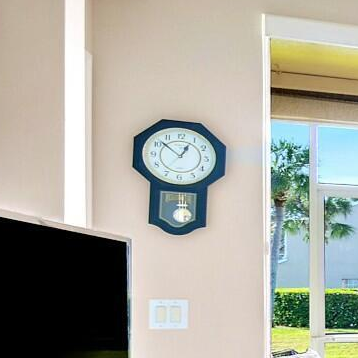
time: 12:52
